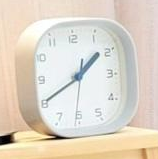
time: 1:40
